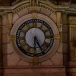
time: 6:25
